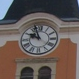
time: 9:56
